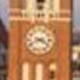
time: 3:41
